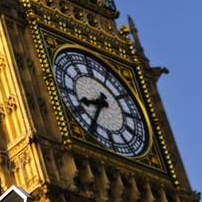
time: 8:35
